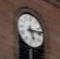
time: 5:13
